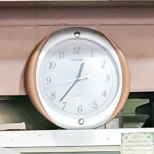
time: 12:37
